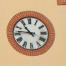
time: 10:46
